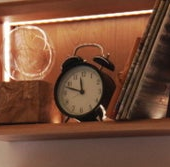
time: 11:48
